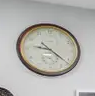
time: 9:21
